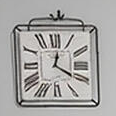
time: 12:20
